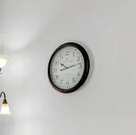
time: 10:13
